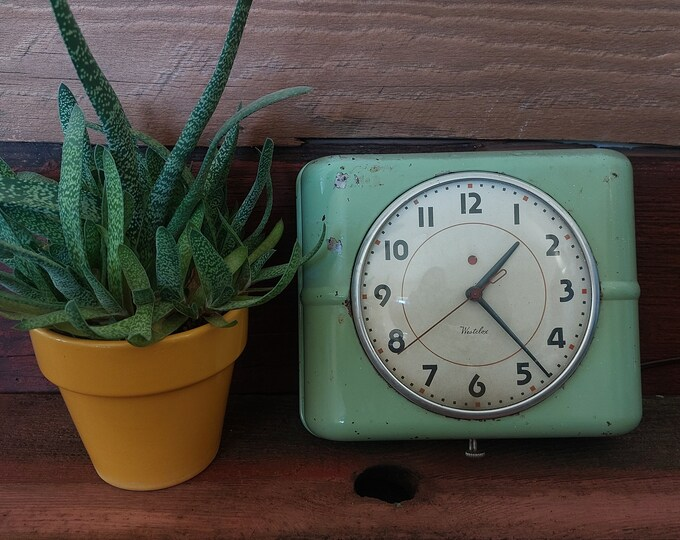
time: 1:23
